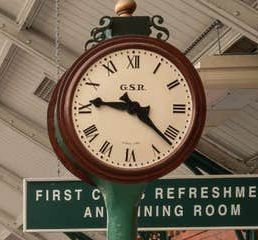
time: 9:22
